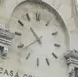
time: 10:38
